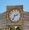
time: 2:35
